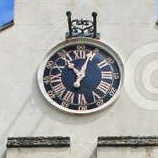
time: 11:03
